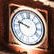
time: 9:47
